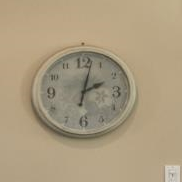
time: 2:02
